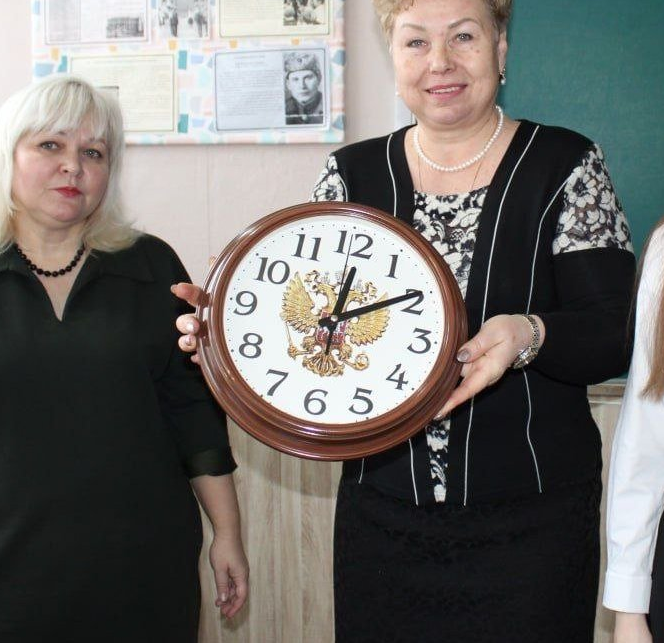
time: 12:09
